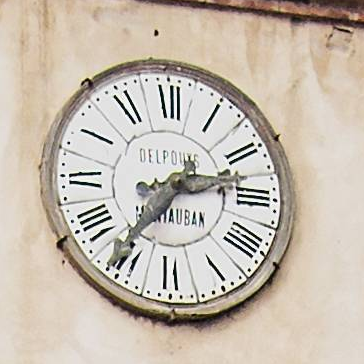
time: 2:36
